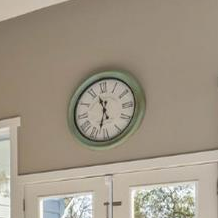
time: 11:32
